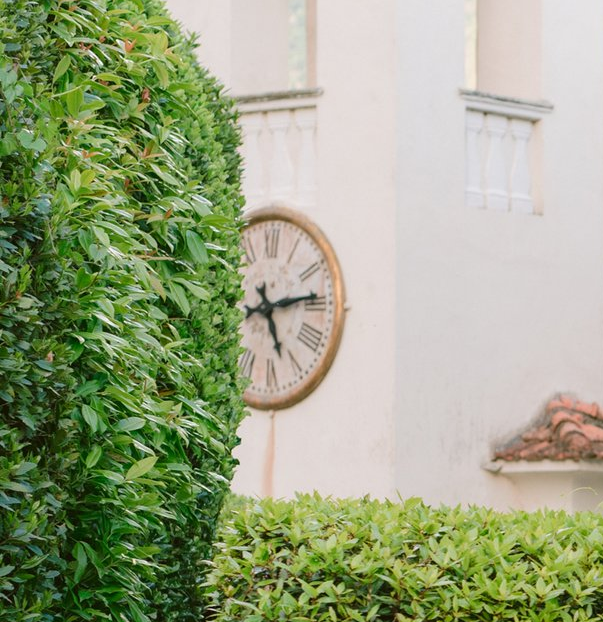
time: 5:13
